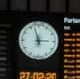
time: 2:57
